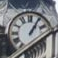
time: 1:05
